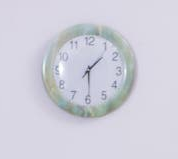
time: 1:29
